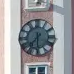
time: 7:30
